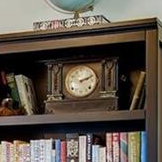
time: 2:11
